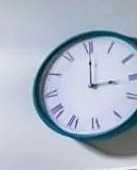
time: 3:00
